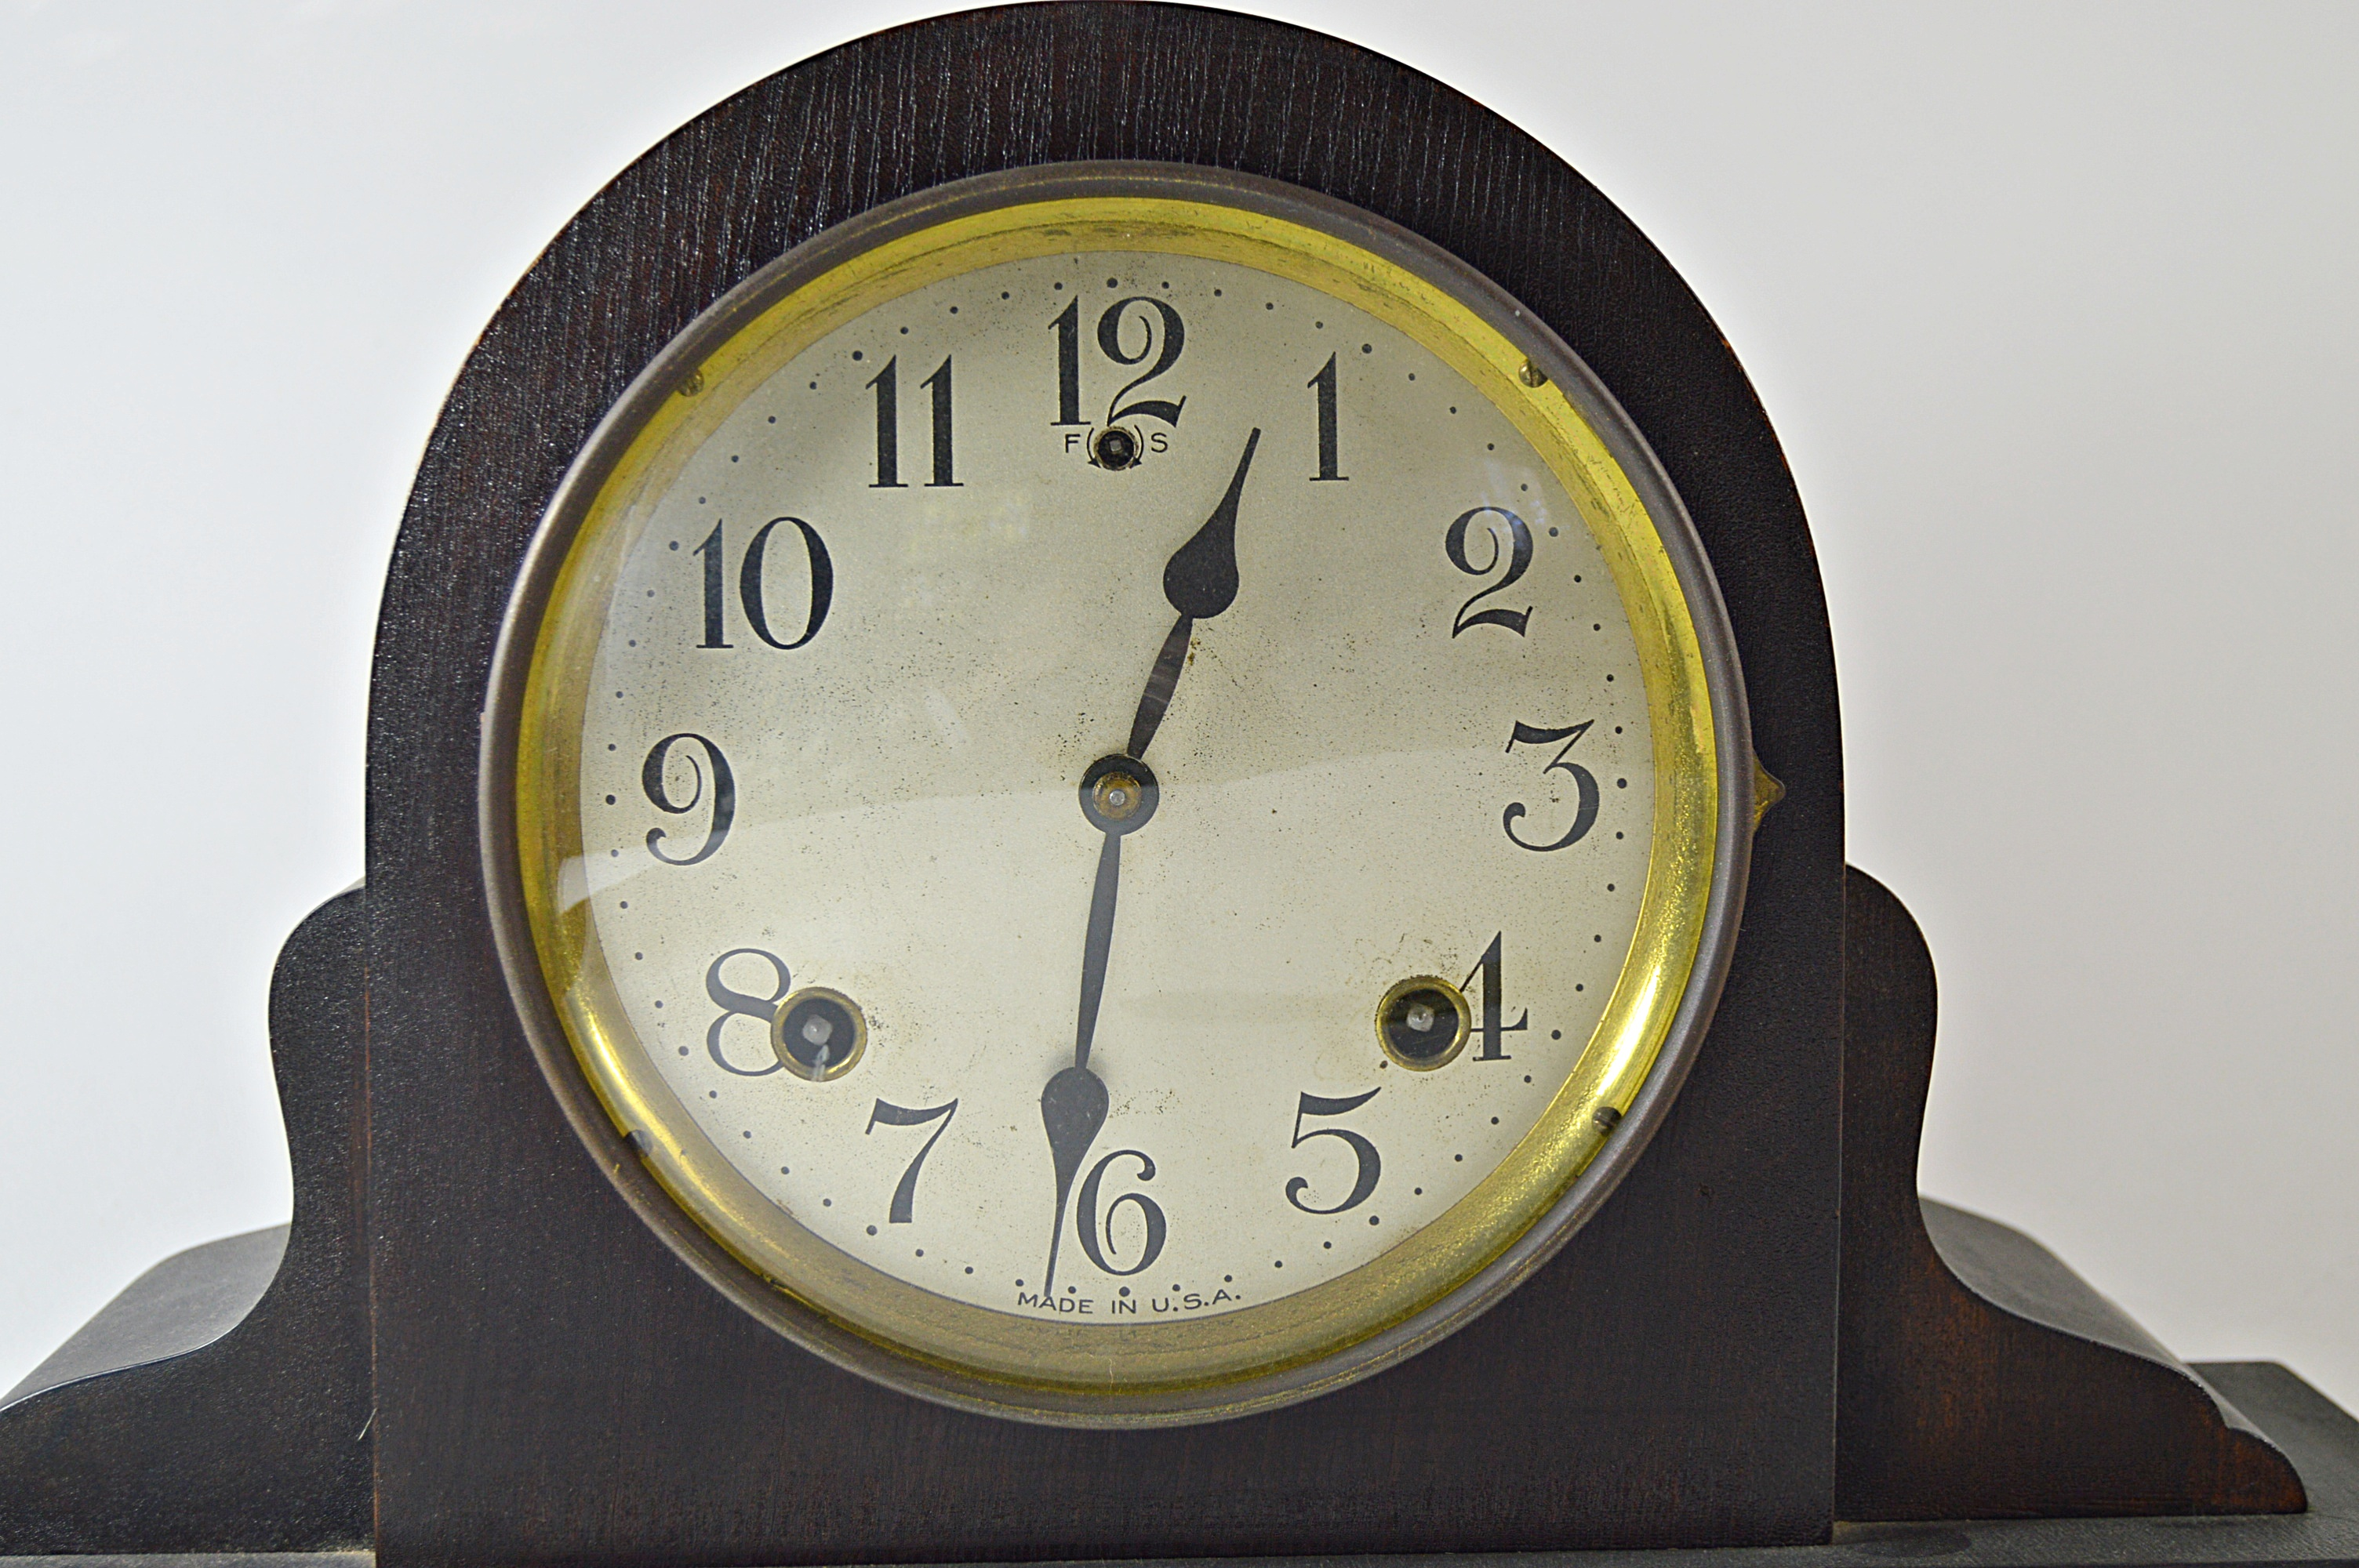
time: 12:31
